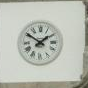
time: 1:50
